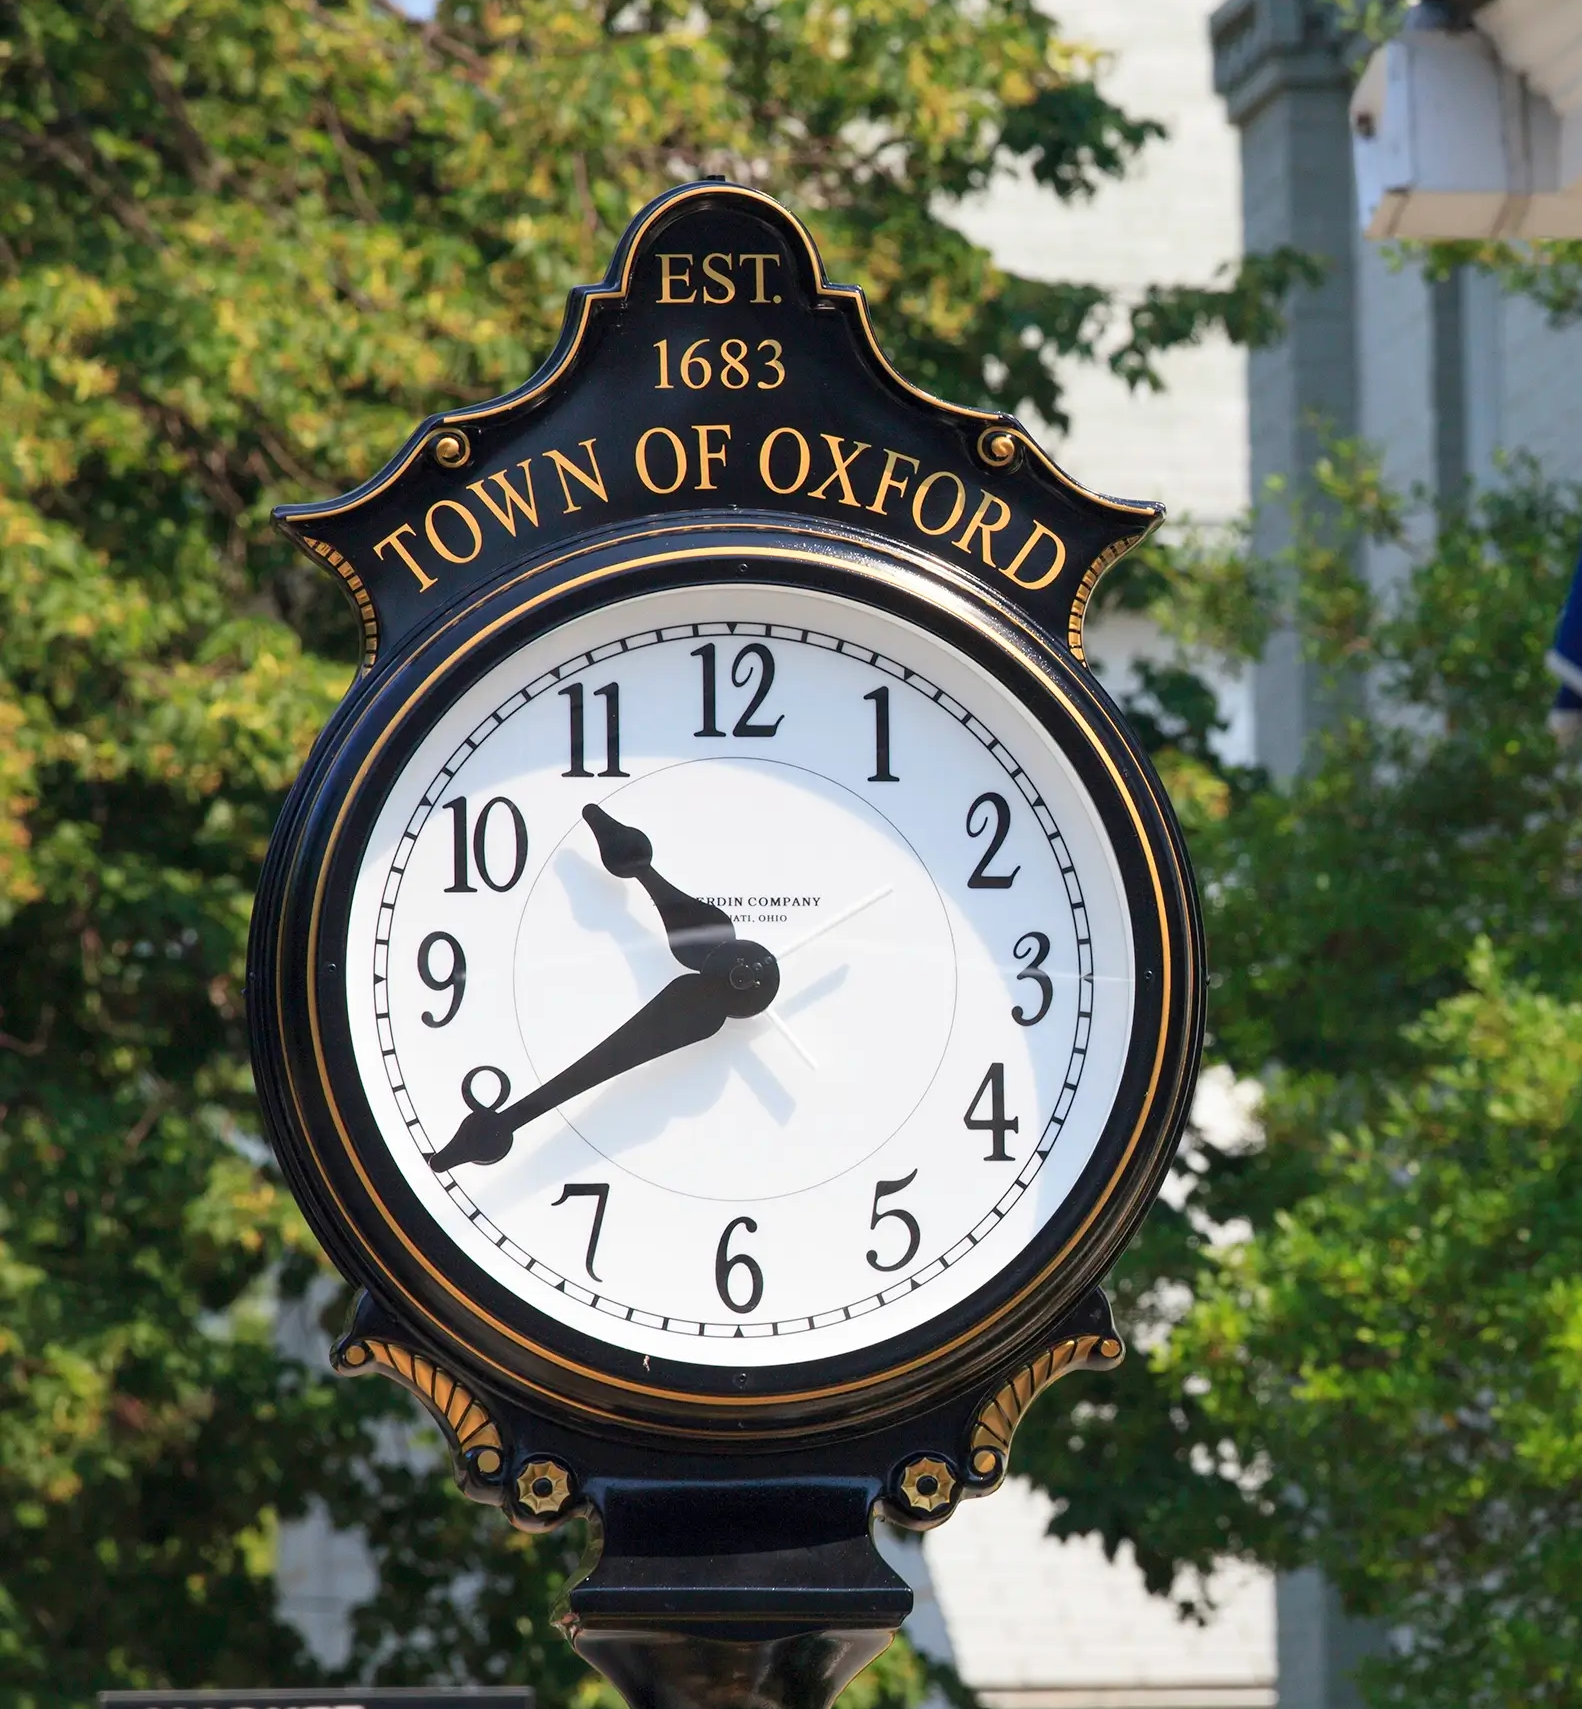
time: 10:39
